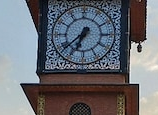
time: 6:38
